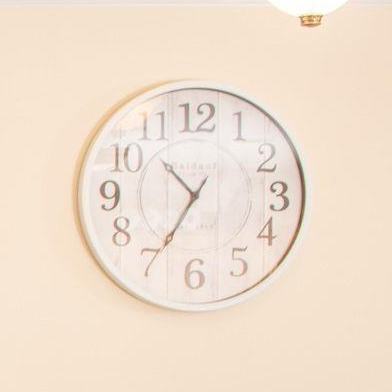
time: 10:34
